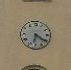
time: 6:20
